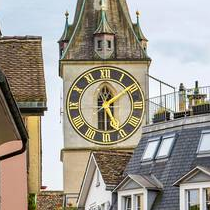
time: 12:09
